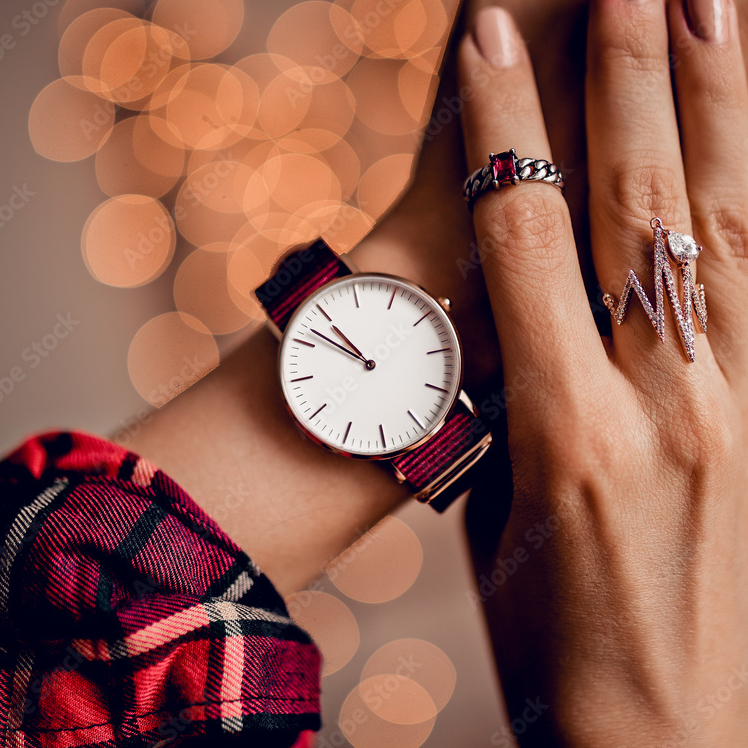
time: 10:51
